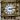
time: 3:13
